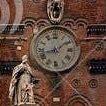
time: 1:42
